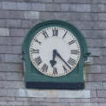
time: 6:22
